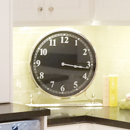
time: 3:16
